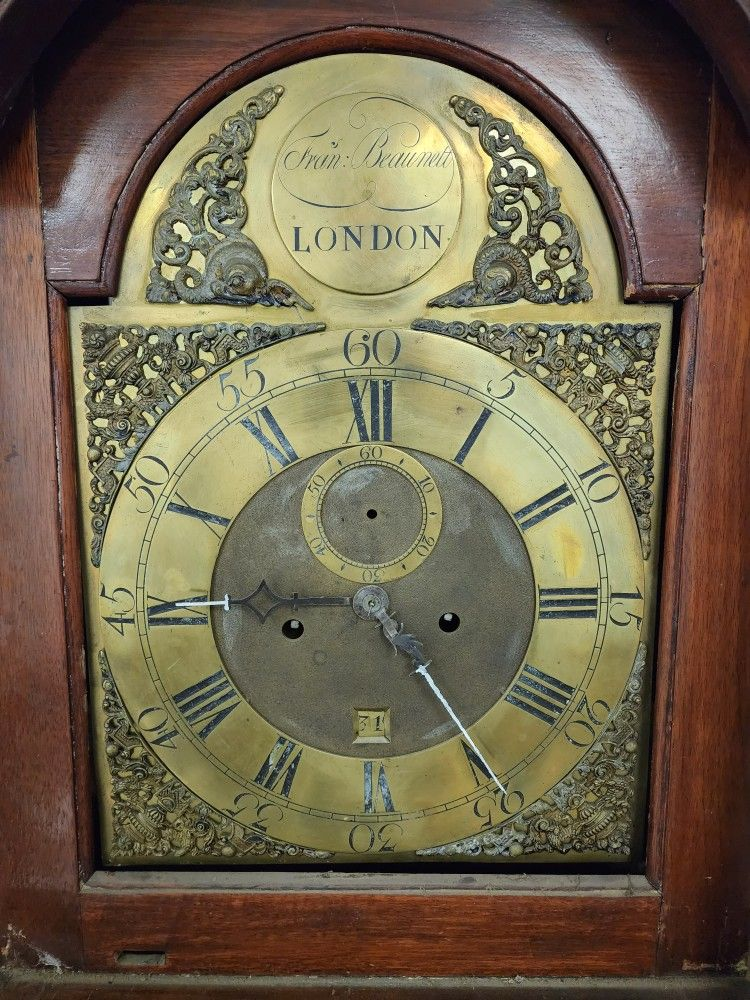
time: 4:45
